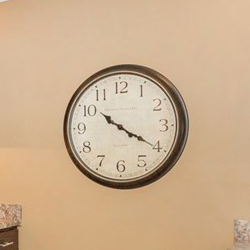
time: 10:20
